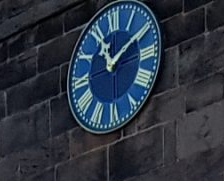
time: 11:10
